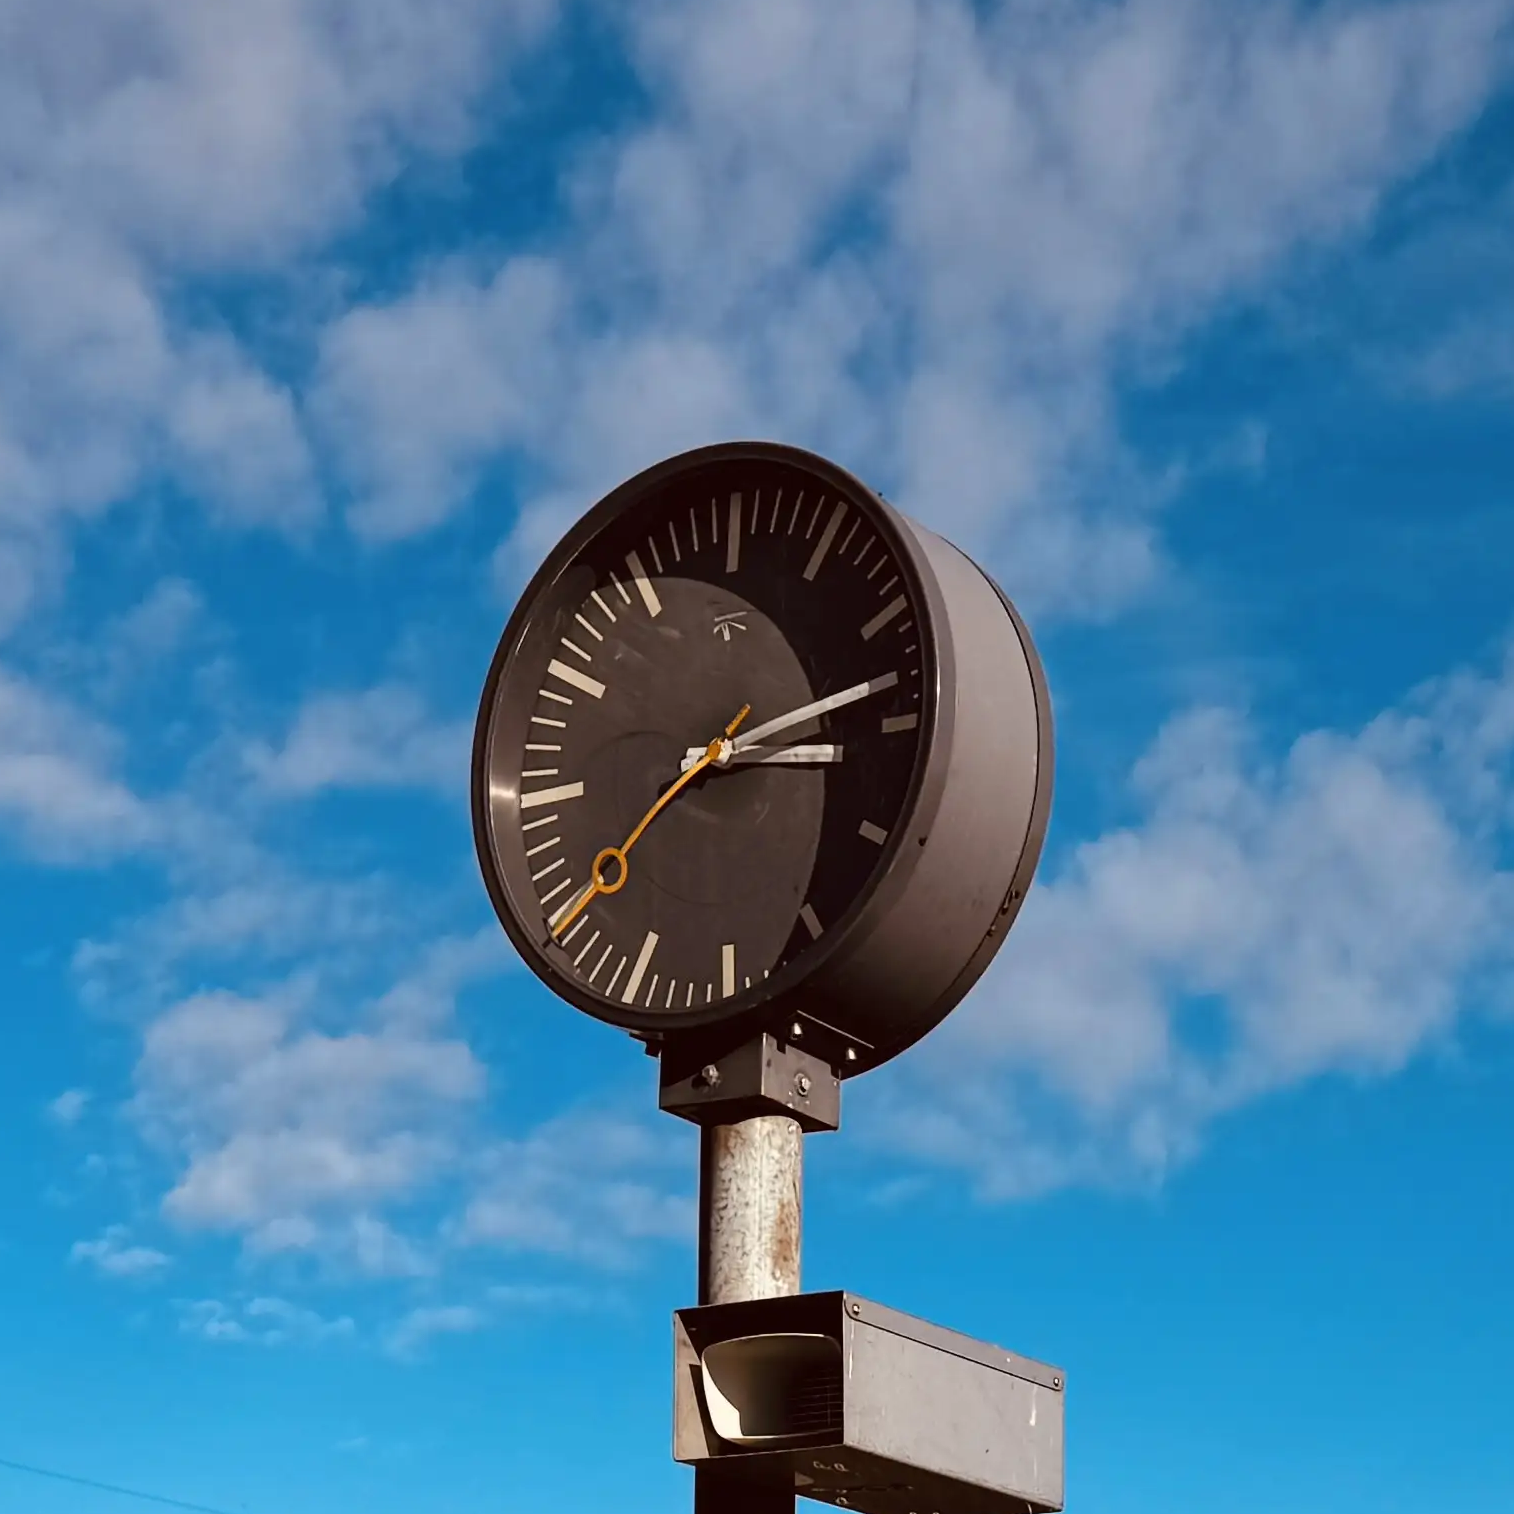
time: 3:12
